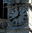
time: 12:40
